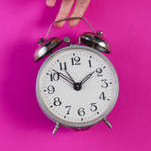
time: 1:52
